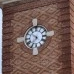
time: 10:35
